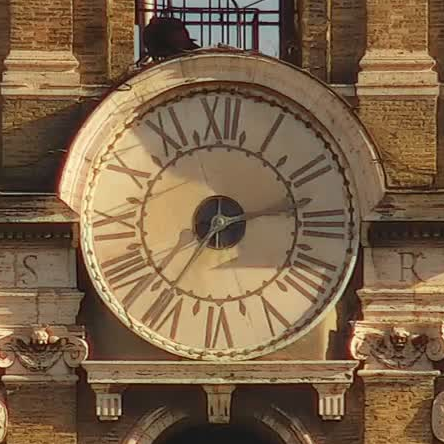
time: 7:12
